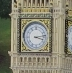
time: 3:13
